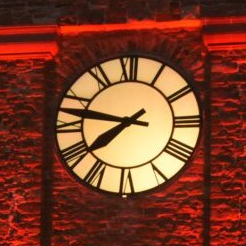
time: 7:46
